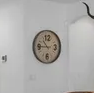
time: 10:43
